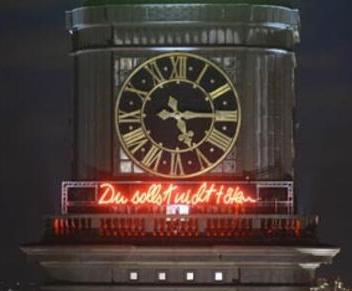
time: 5:14
